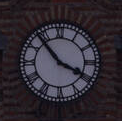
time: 3:53
